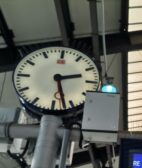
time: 2:27
